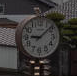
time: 9:08
